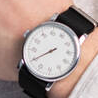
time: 7:39
